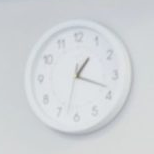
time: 1:18
